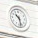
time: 10:28
